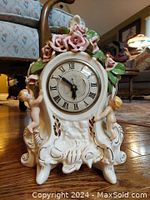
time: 5:51
